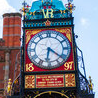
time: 6:21
